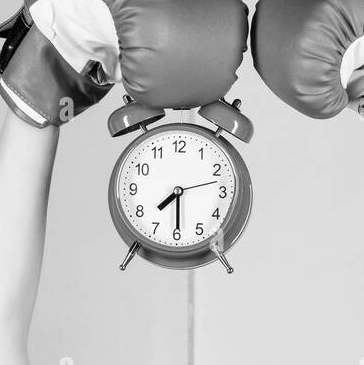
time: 7:29
